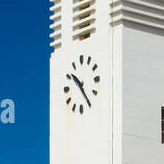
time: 10:24
